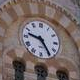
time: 9:24
